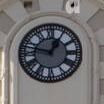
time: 12:47
